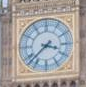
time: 3:37
